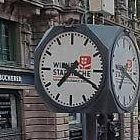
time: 7:19
